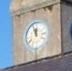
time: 11:56
